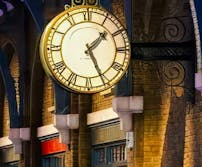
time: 1:25
